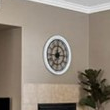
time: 7:00
